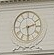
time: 2:29
